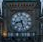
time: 8:27
